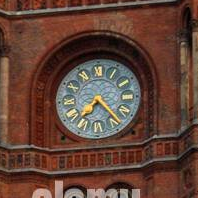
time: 7:23
